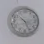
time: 10:25
